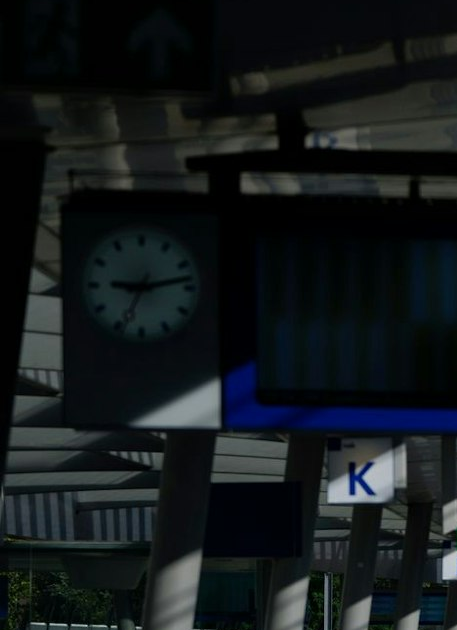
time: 9:13
